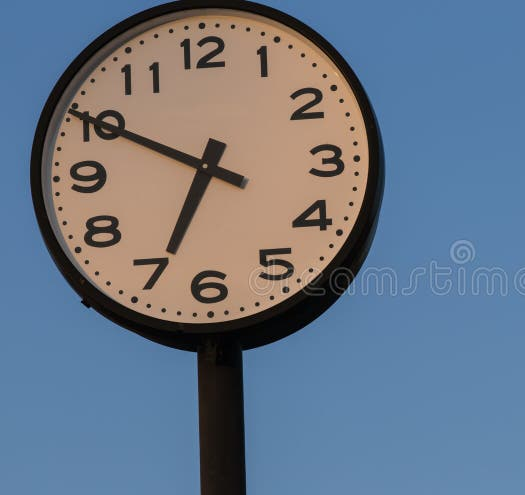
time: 6:49
